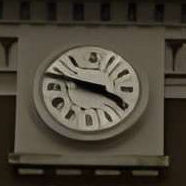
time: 3:47
